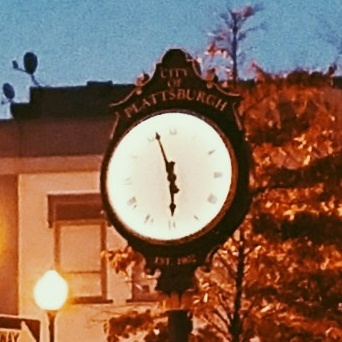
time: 5:56
